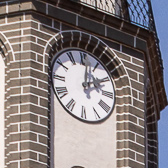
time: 2:01
